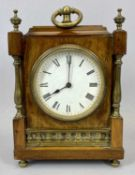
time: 8:00
